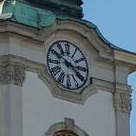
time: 3:50
